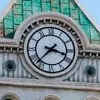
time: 3:37
